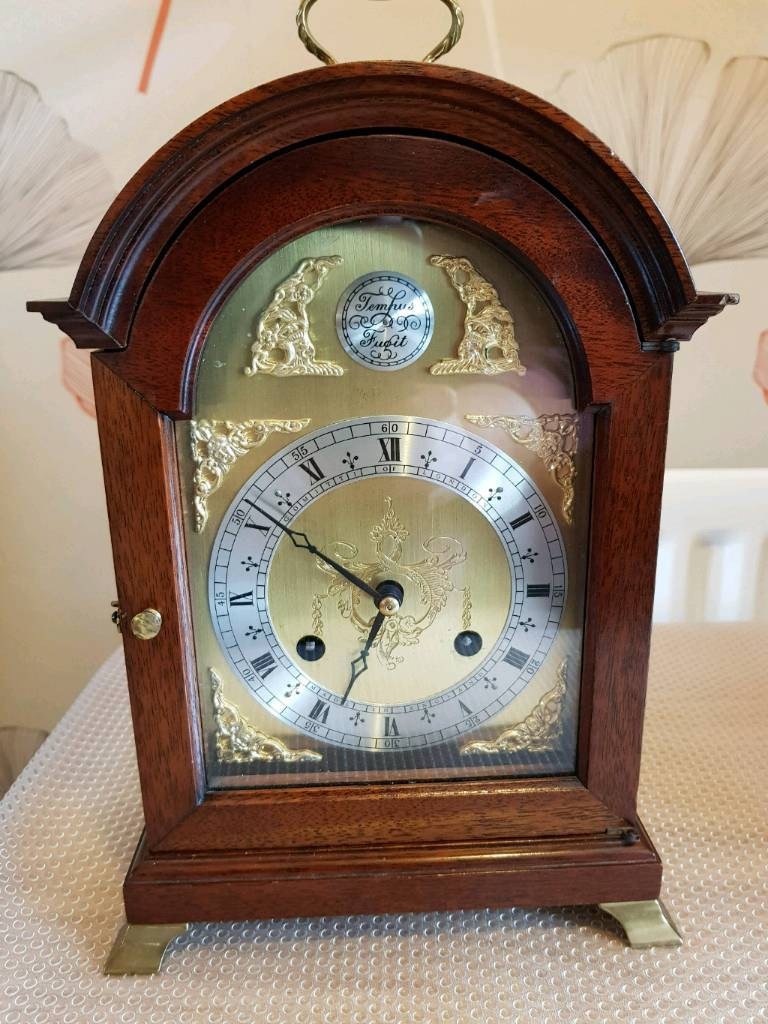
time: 6:49
